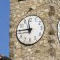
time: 11:45
